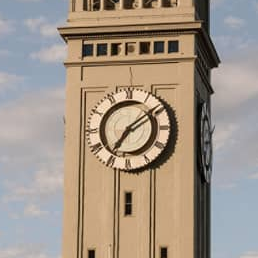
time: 7:09
